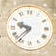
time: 9:37
